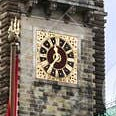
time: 11:36
